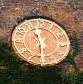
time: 11:29
